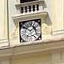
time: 1:50
